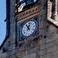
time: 11:02
